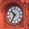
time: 10:35
